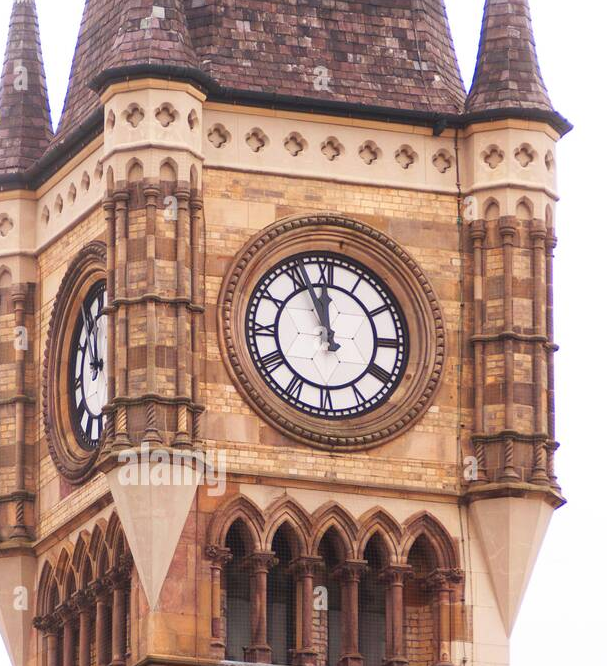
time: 11:55
